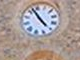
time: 4:57
